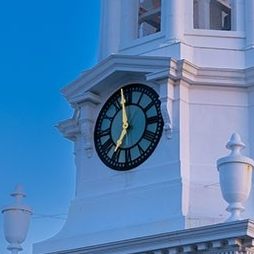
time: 6:58
